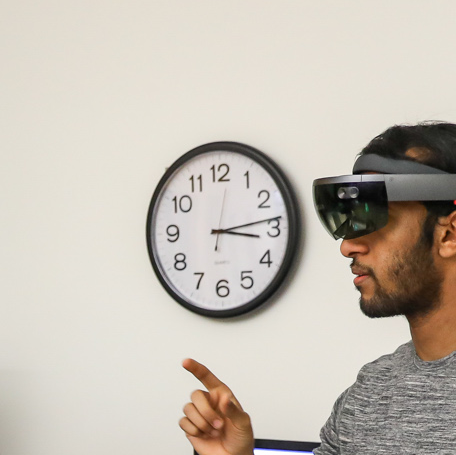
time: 3:13
